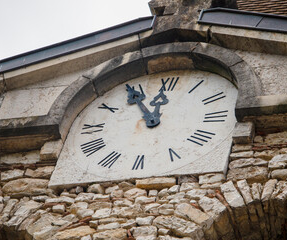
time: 11:54
